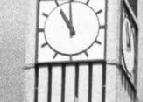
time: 10:59
